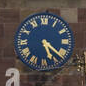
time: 5:21
